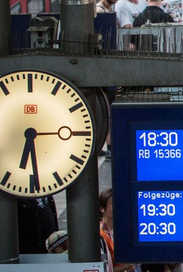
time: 6:29
